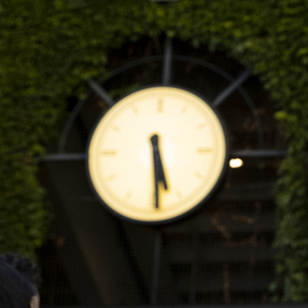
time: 5:29
